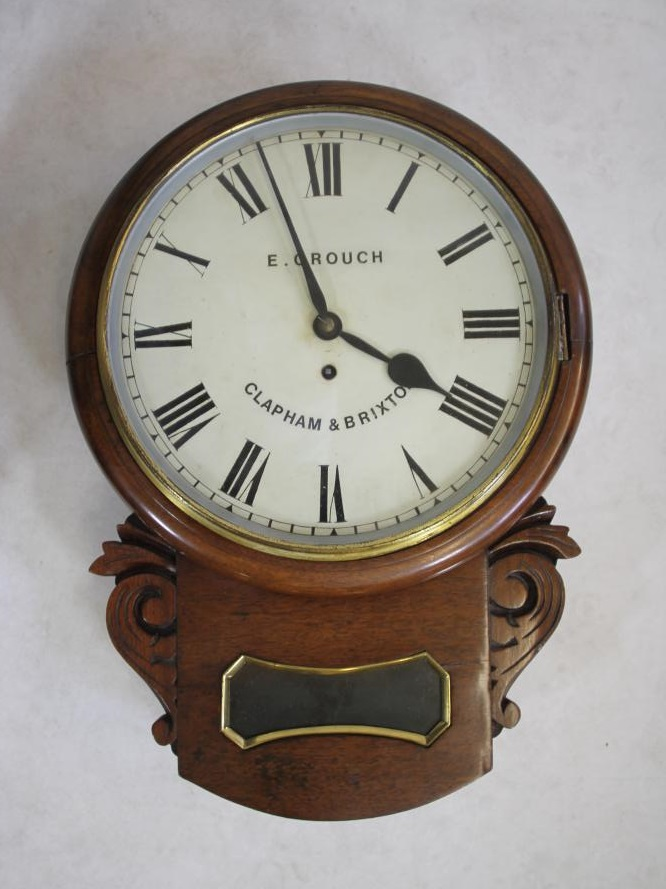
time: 3:56
